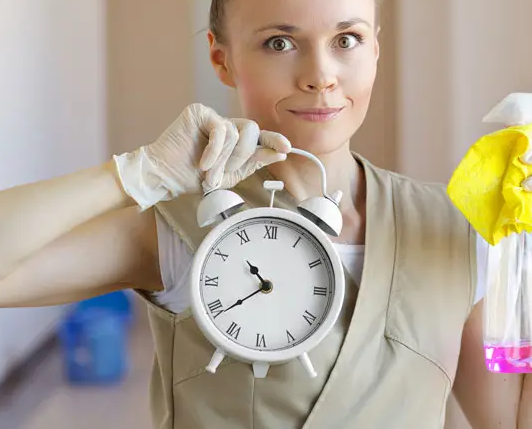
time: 10:38
